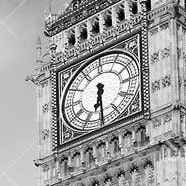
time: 6:29
